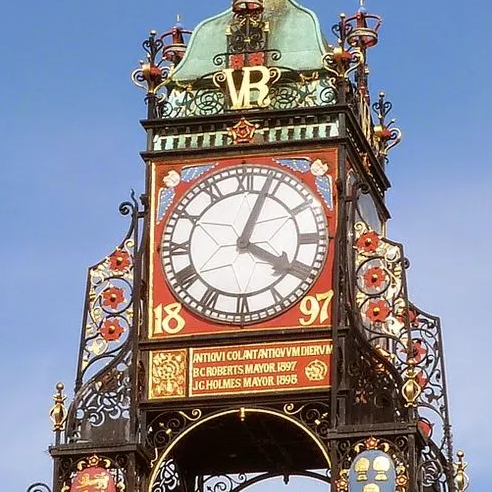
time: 4:03
